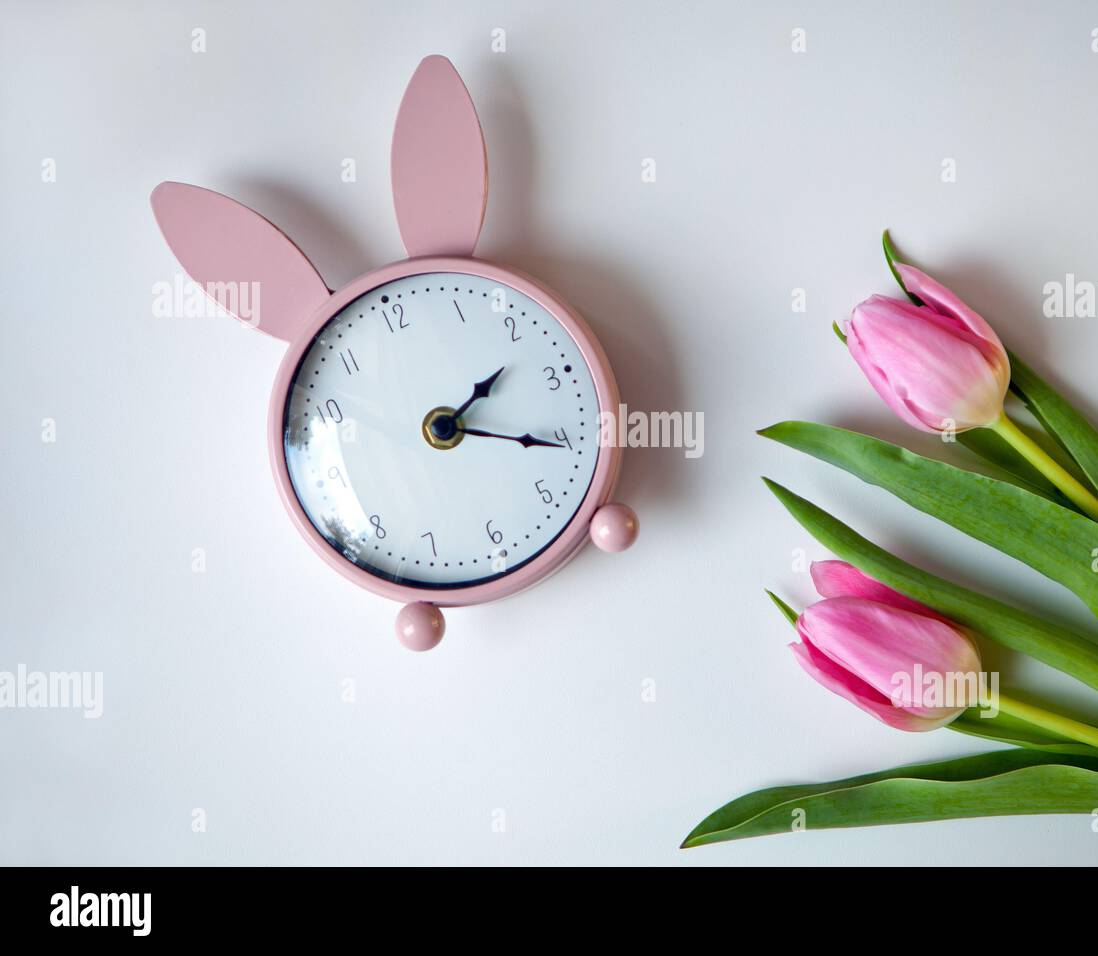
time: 1:16
